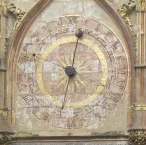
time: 12:32
